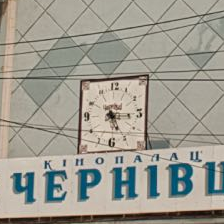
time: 5:15
